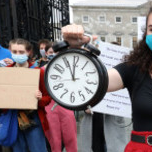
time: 11:55
